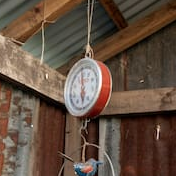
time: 5:59
